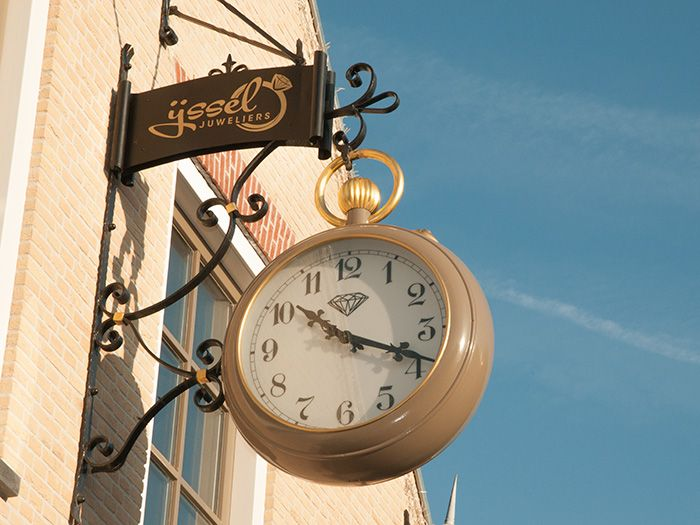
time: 10:18
